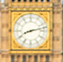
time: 8:12
